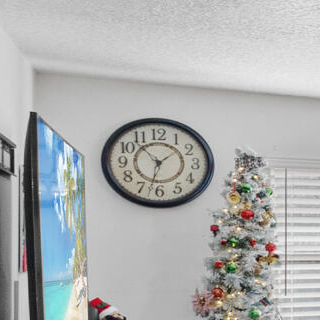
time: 1:32
